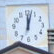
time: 12:02
